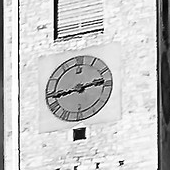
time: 2:43
